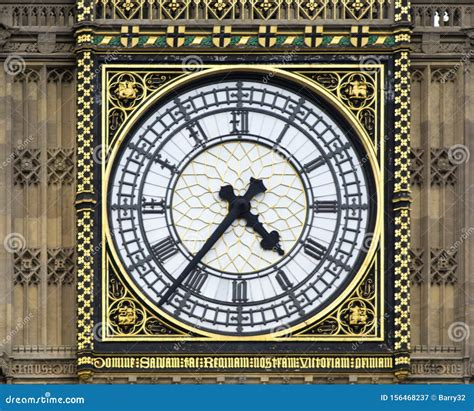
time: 4:36
